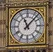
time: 11:07
